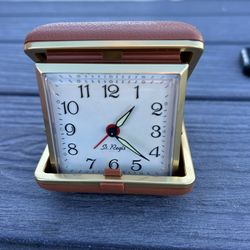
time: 1:22
